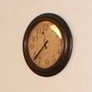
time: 7:37
